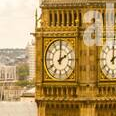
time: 2:00
